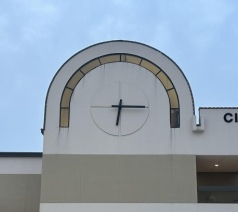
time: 6:15
